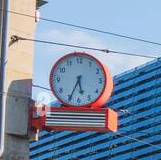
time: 5:34
